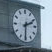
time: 2:30
